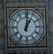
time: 1:01
